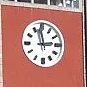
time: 2:58
